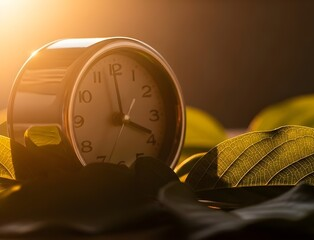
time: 3:59
